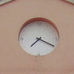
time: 7:19
